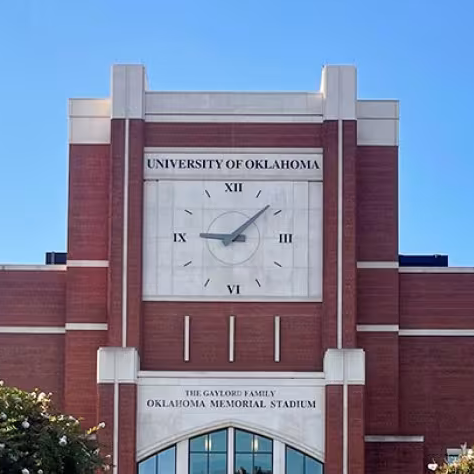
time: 9:08
